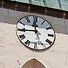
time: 11:44
